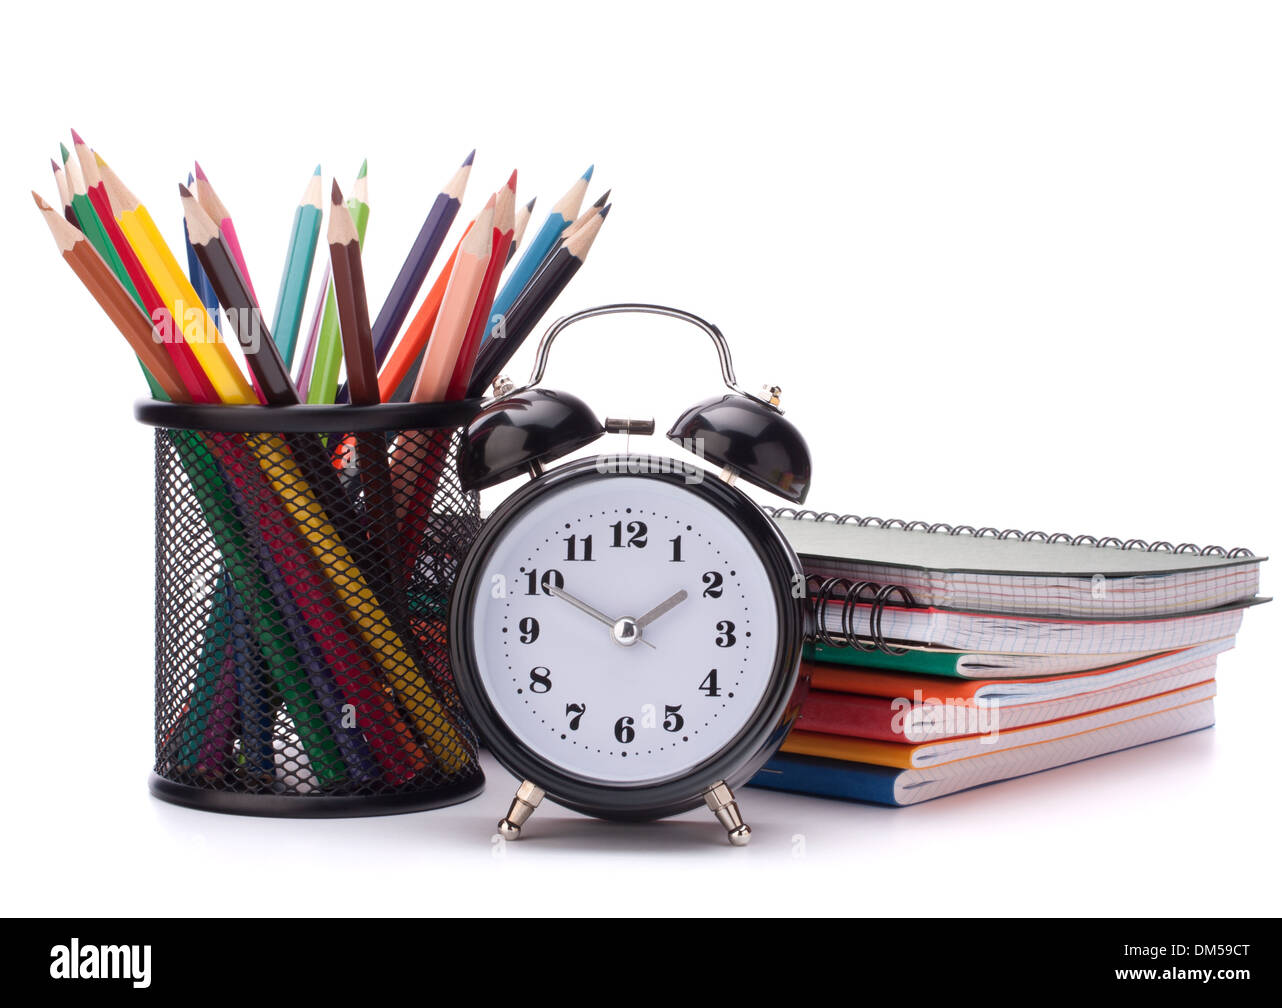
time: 1:50
